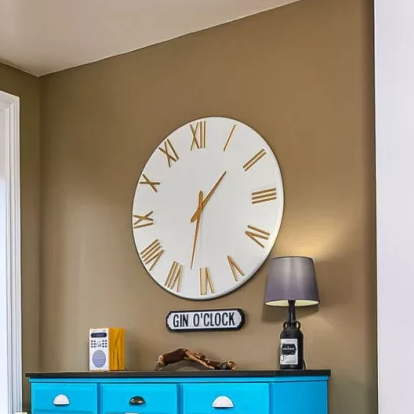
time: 1:32
